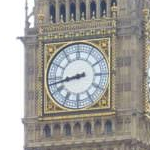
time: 8:43
